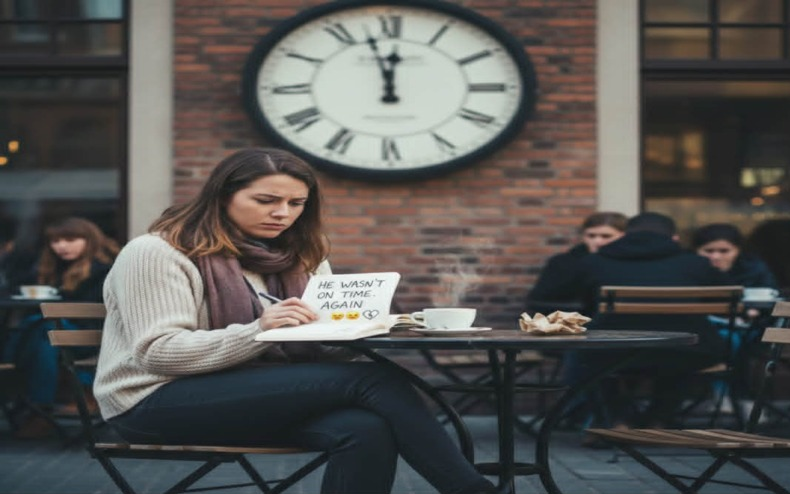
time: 11:57
